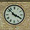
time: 3:52
